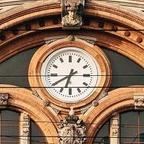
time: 6:39
